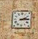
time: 2:14
